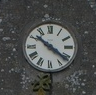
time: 10:21
